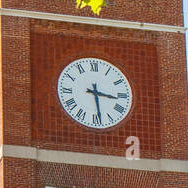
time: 3:28
